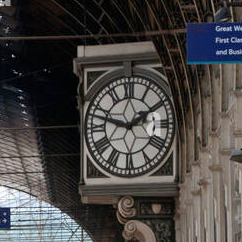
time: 1:47
